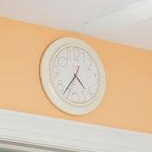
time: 4:36
